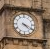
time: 4:19
